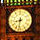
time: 8:32
